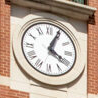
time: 4:04
